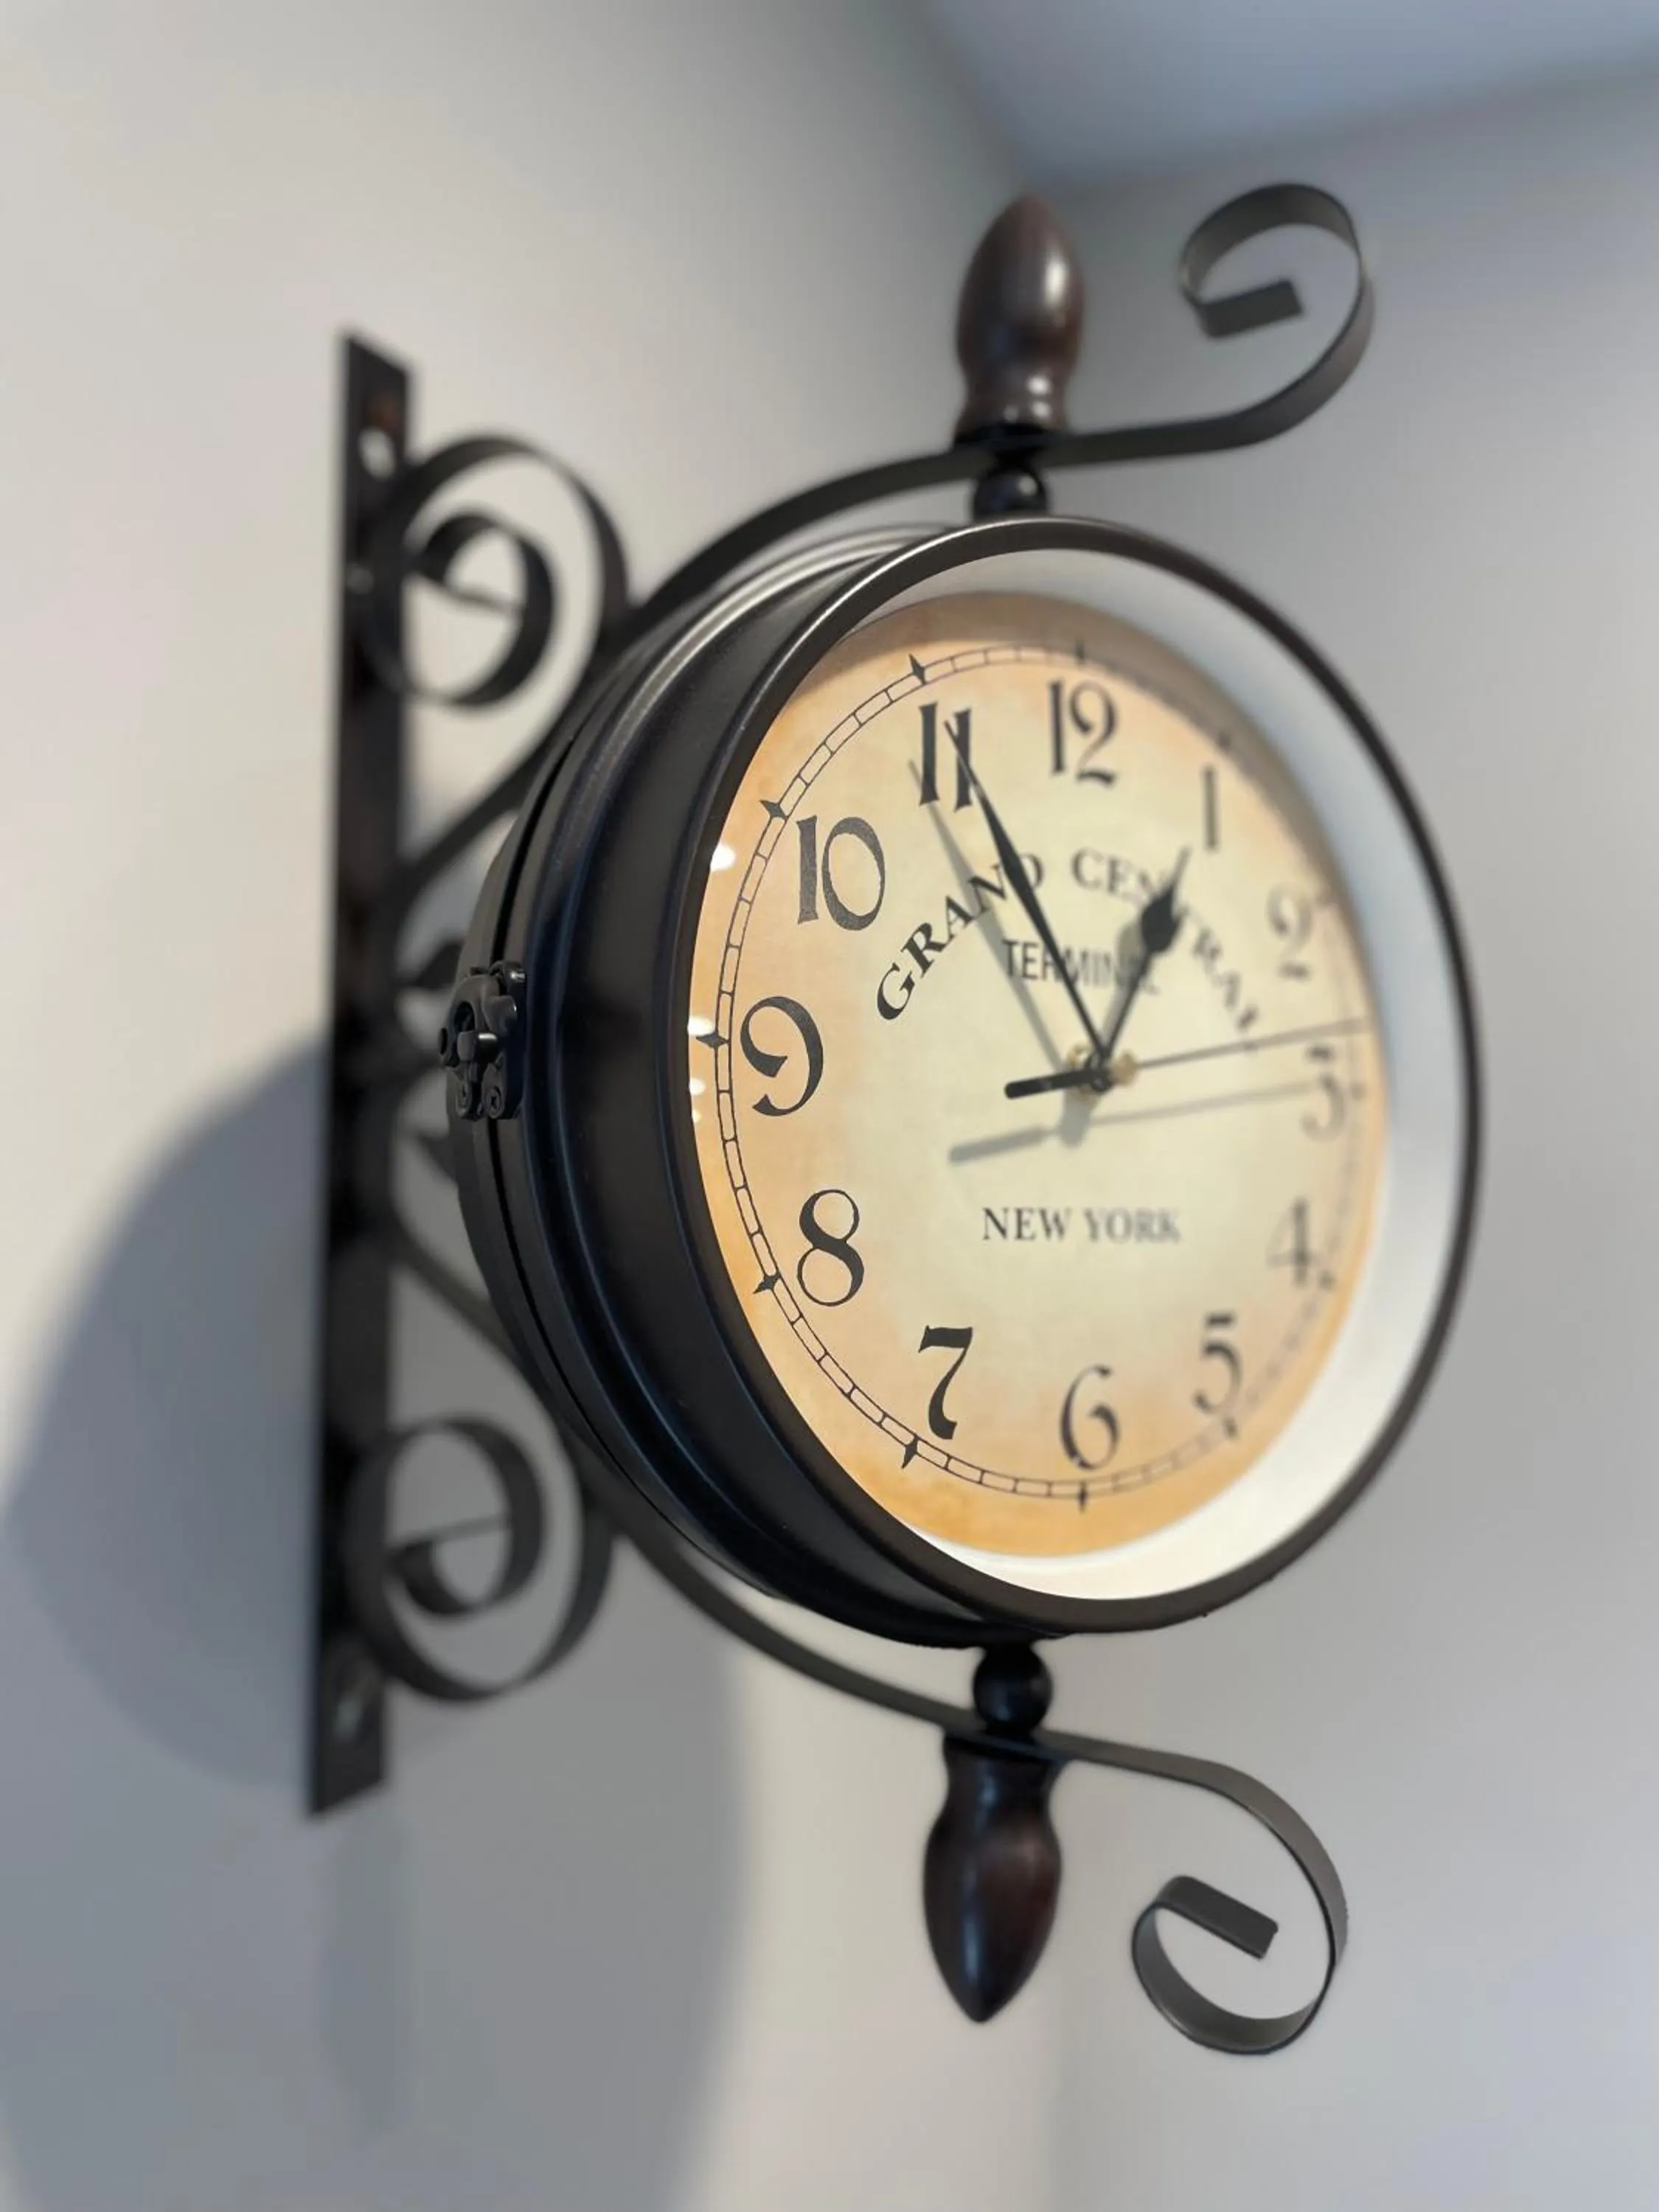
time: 12:55
